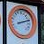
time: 8:11
